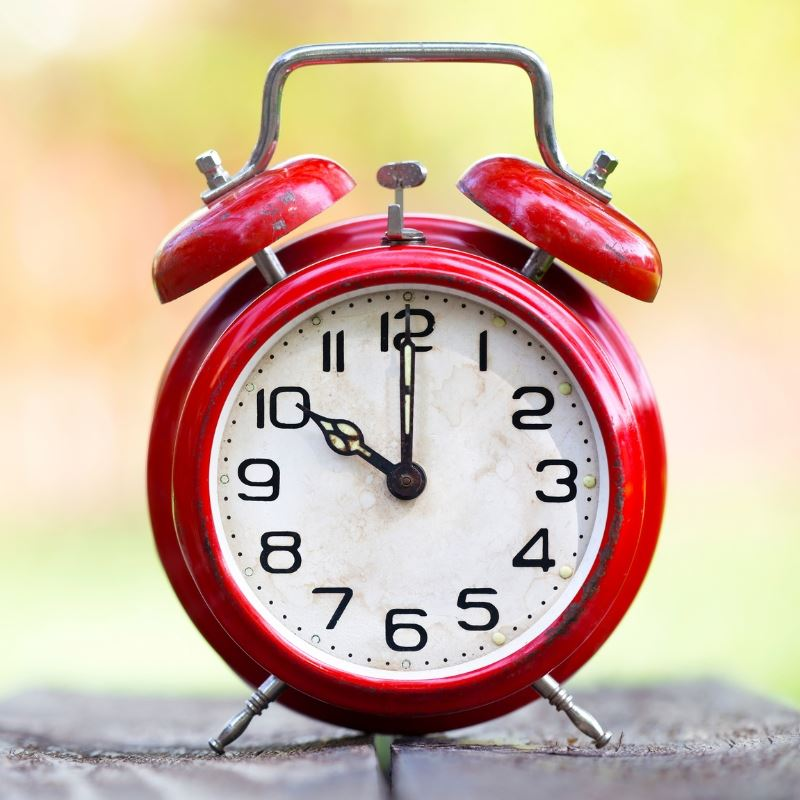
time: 10:00
